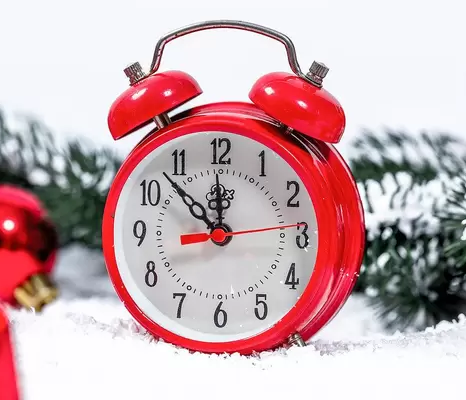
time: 11:52
